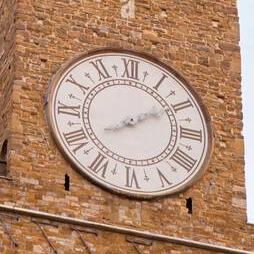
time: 8:09
